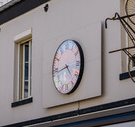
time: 4:43
